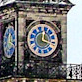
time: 12:18
